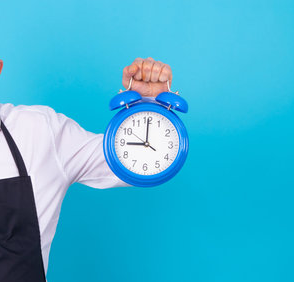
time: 9:00
